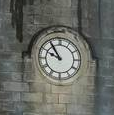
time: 9:54
